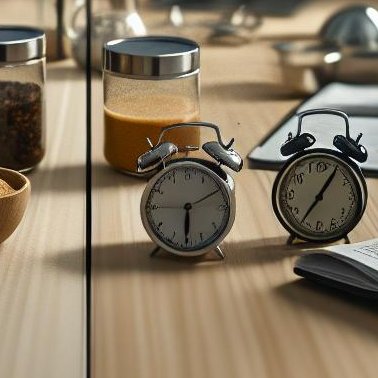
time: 6:10
